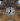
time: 7:00
